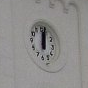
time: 12:01
